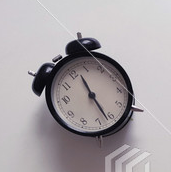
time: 11:26
